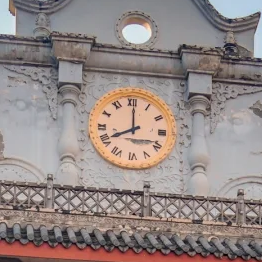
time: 8:00
